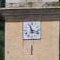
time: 11:17
